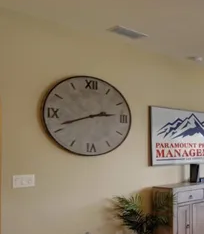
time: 2:41
